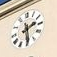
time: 2:29
